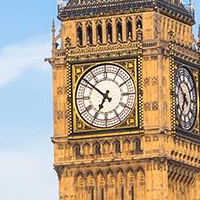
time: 6:51
